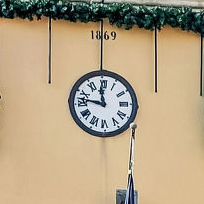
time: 11:46
